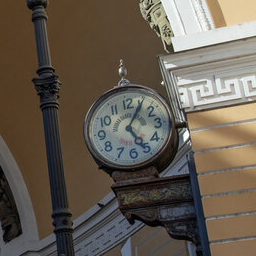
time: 5:05
